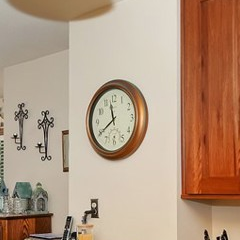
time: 11:39
